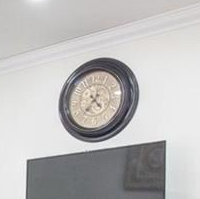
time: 4:36
